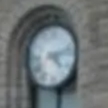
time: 4:12
